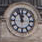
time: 11:56
